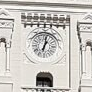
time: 1:02
